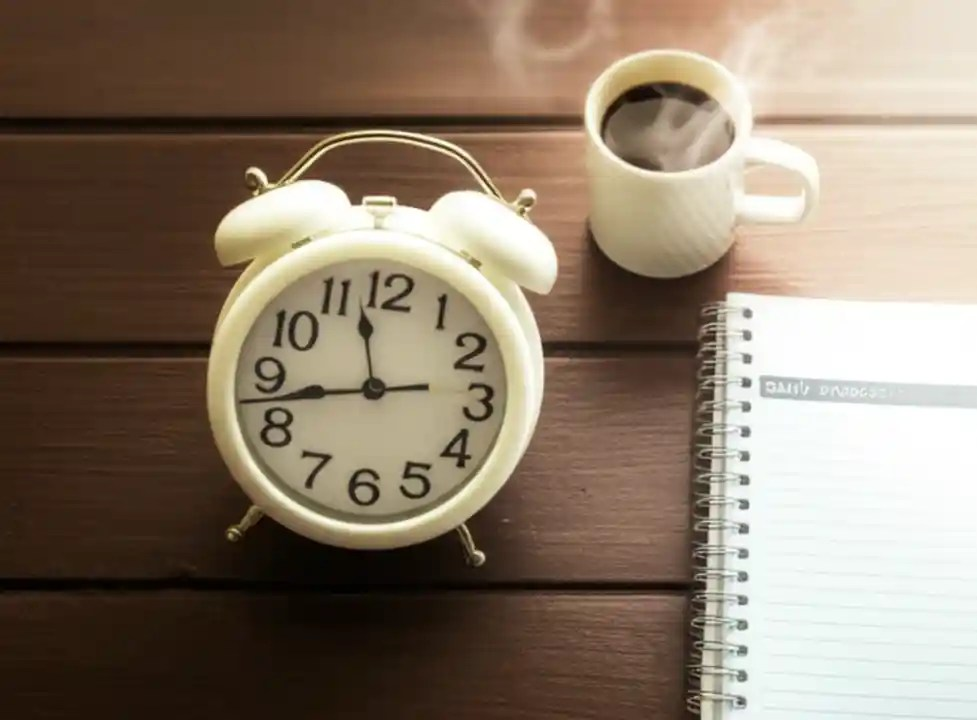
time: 11:42
